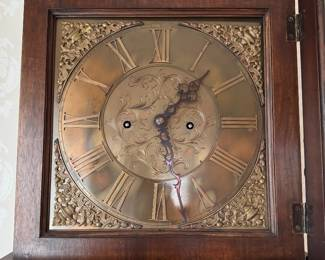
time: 1:28
